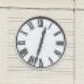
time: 12:32
